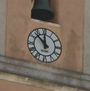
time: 11:52
